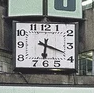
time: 6:18
